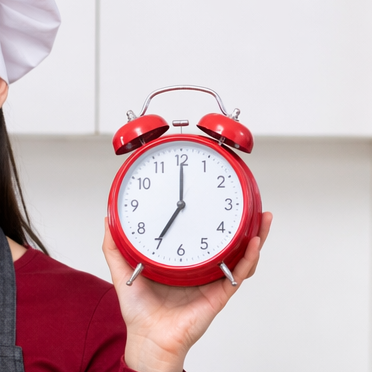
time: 7:00
